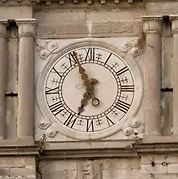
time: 6:55
